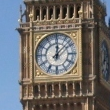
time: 12:07
